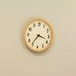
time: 3:36
